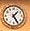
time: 1:24
